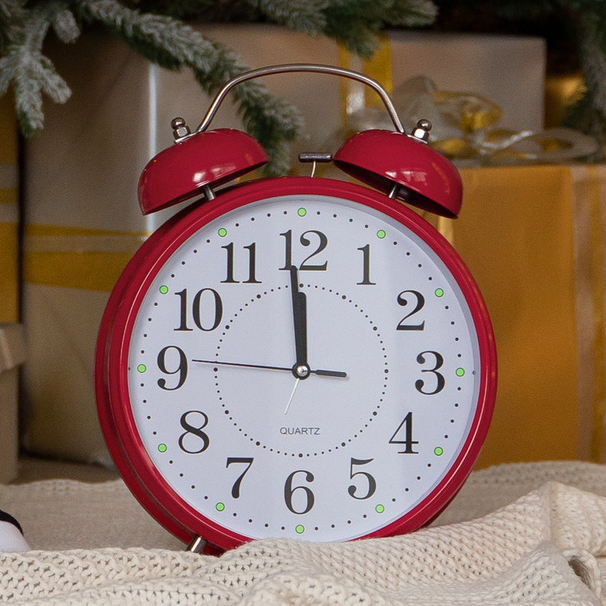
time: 11:58
